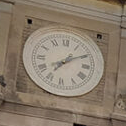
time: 7:09
